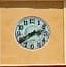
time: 2:40
